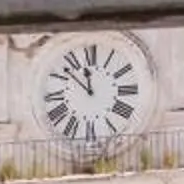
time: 11:52
